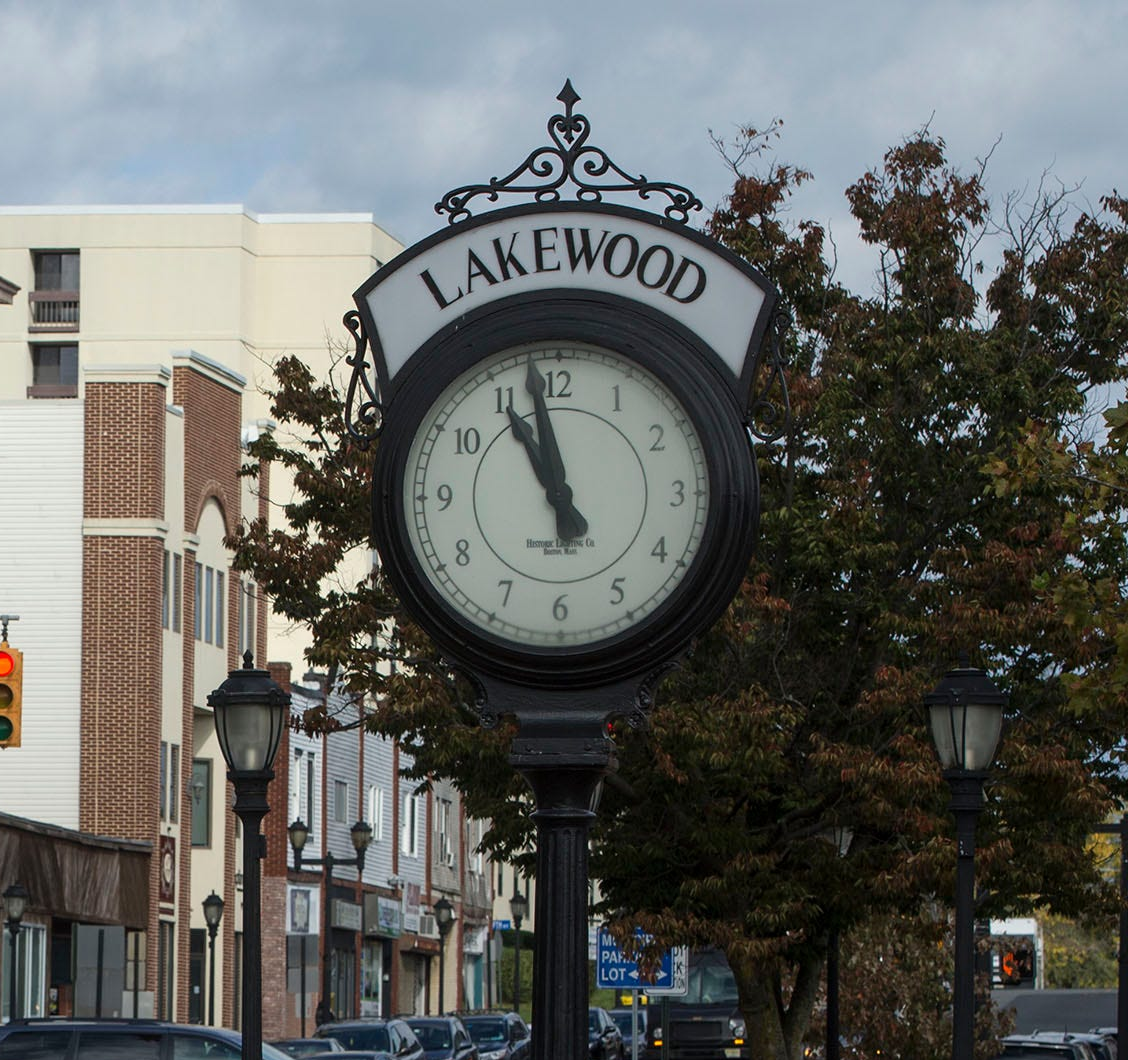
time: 10:58
